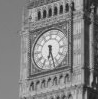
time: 6:27
